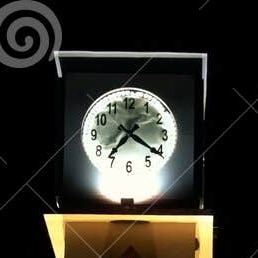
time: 7:20
